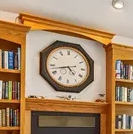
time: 4:42
